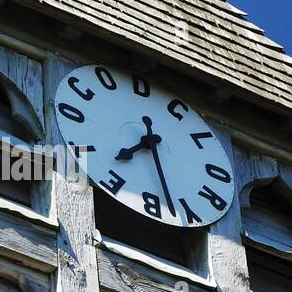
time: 7:28
